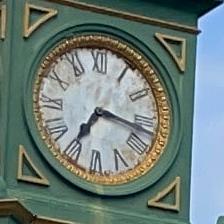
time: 7:16
